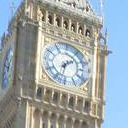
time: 1:32
